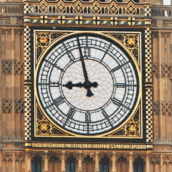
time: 8:57
